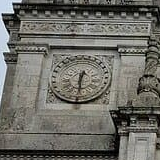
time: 12:30
